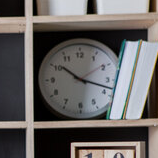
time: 10:17
